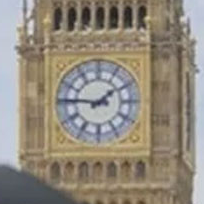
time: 1:46
